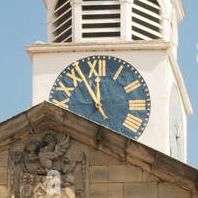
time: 11:55
